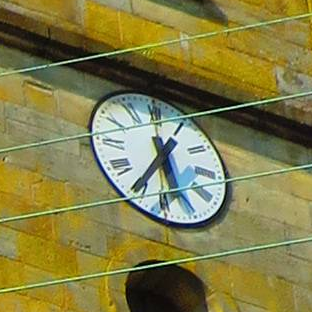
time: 5:35
